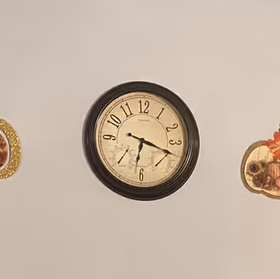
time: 6:17
